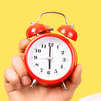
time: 5:59
